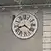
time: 8:21
